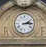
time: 2:14
